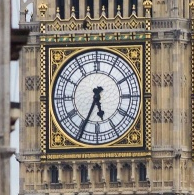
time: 5:34
